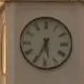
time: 5:34
